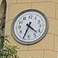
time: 4:34
